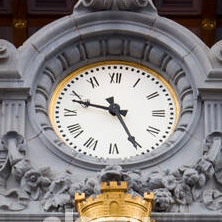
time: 9:25
